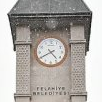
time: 4:40
